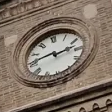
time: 8:12
